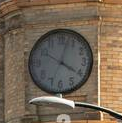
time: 4:02
